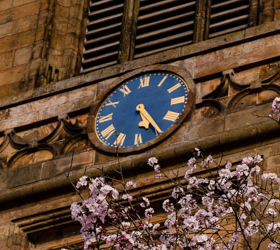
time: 5:24
